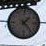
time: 1:23
